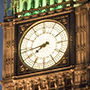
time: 7:43
